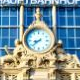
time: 8:38
